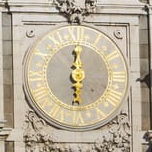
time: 12:28
